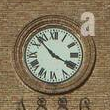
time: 3:52
